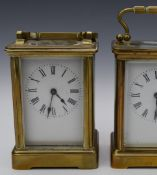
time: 4:33
